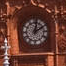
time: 2:02
